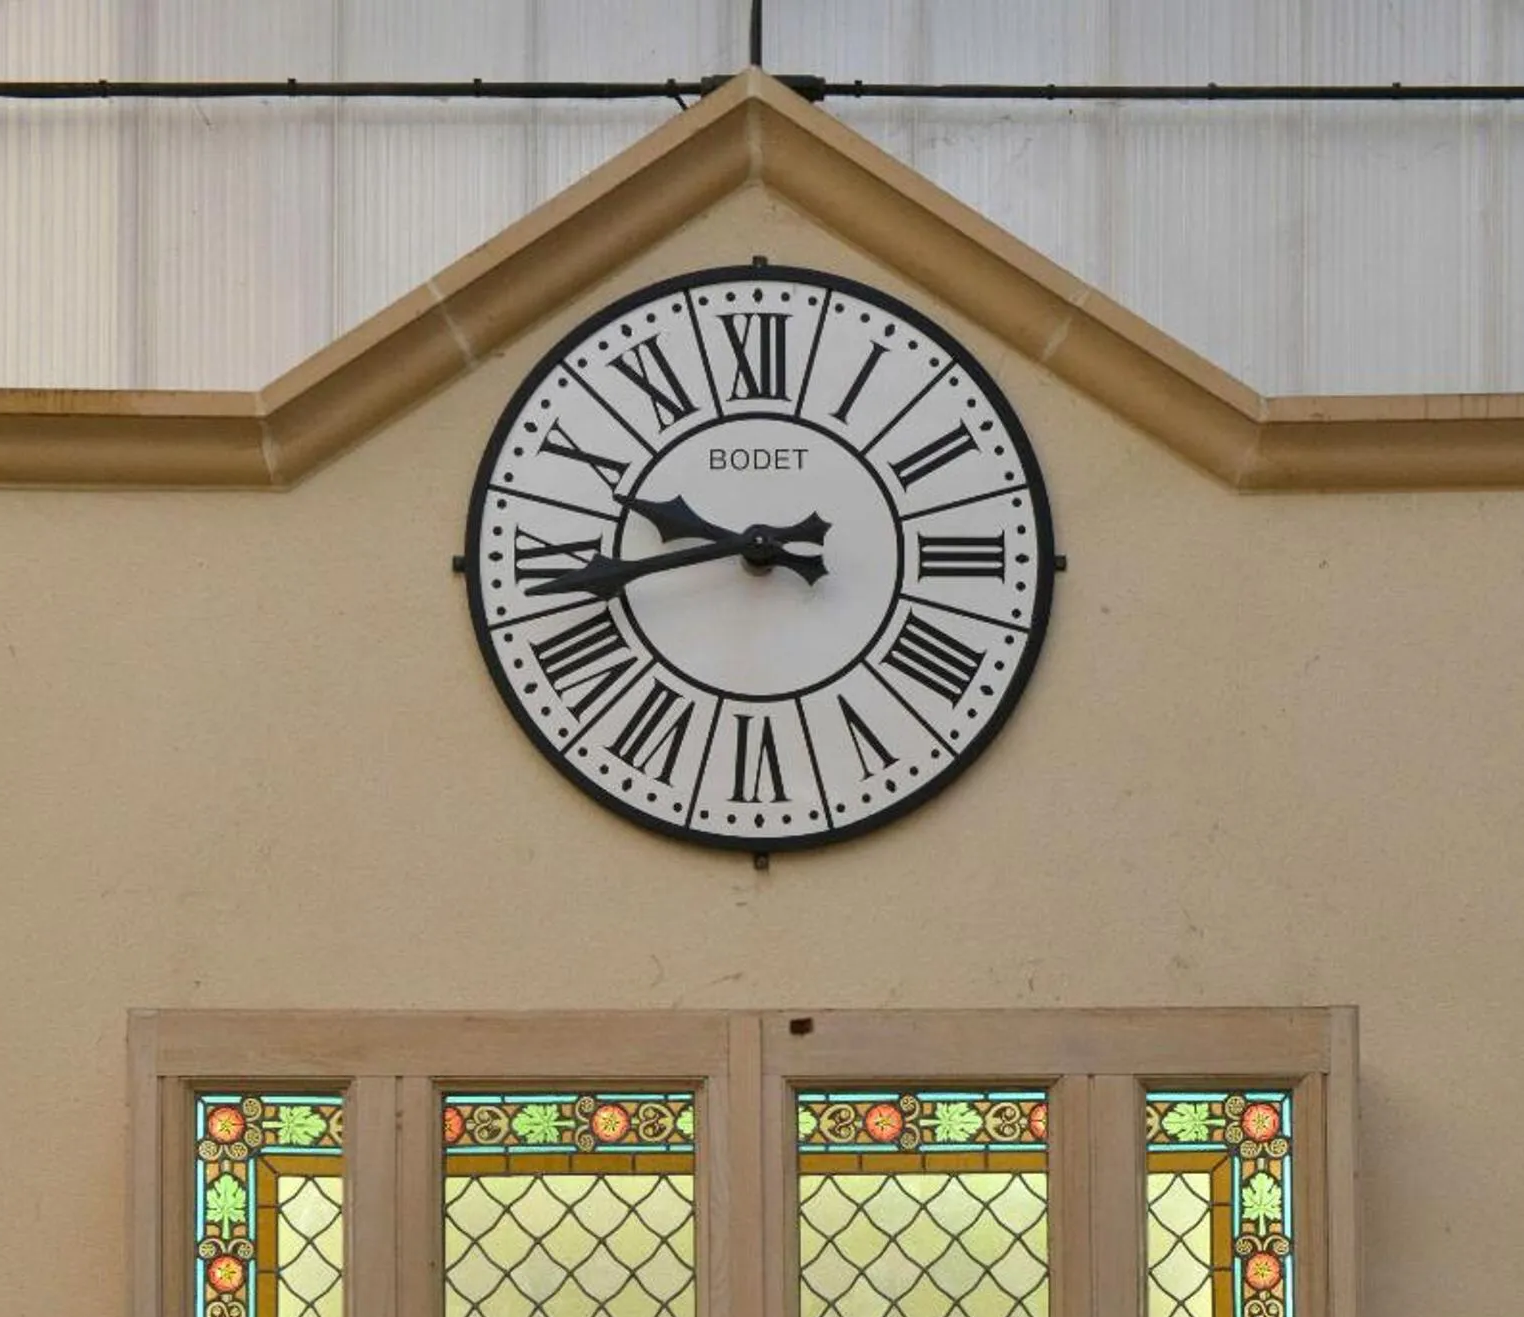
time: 9:42
